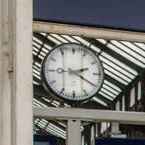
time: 2:20
